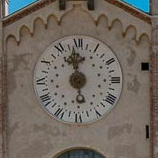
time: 5:58
